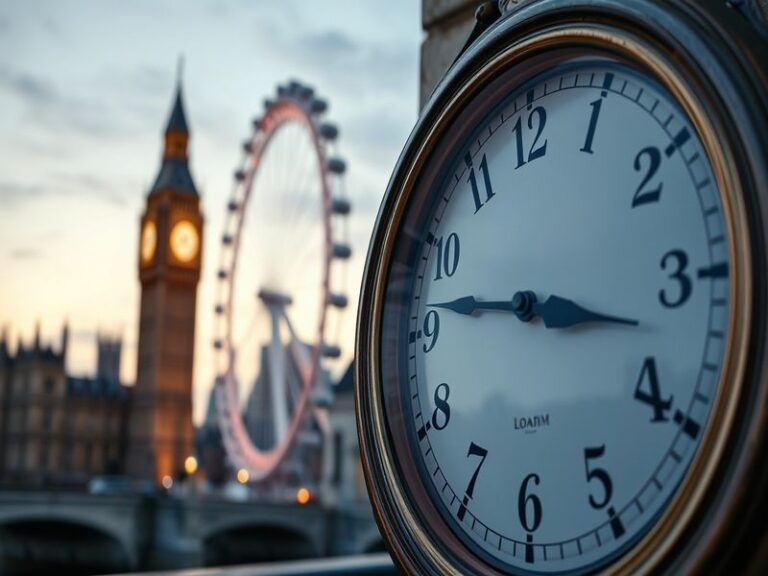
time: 9:17
